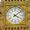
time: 4:08
